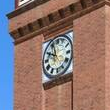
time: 9:57
